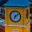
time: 7:08
